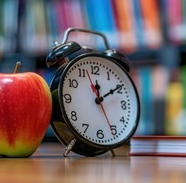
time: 12:09
